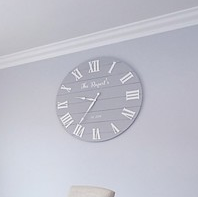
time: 9:36
